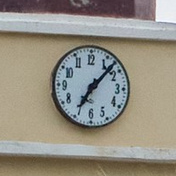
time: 7:07
